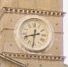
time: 8:31
